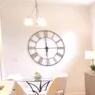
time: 5:59
